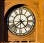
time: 4:38
